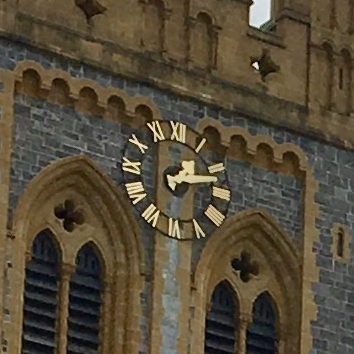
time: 1:13
